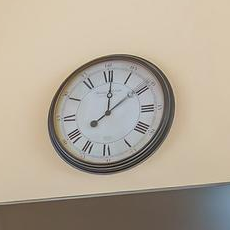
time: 12:08
